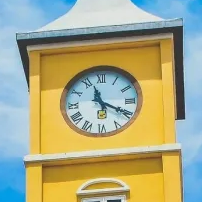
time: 11:19
